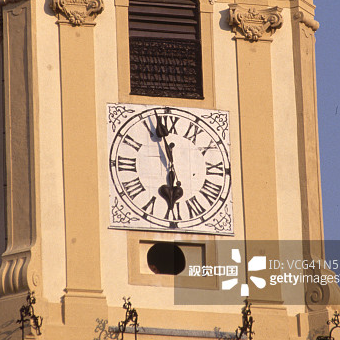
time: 5:57
